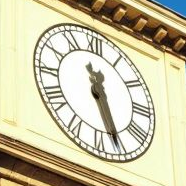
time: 11:26
